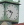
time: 9:34
